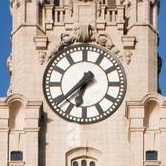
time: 6:38
